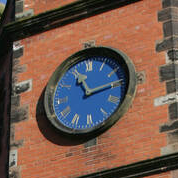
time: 11:13
